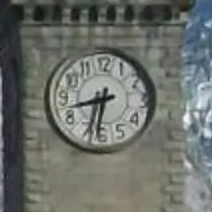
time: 8:32
